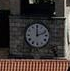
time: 12:11
